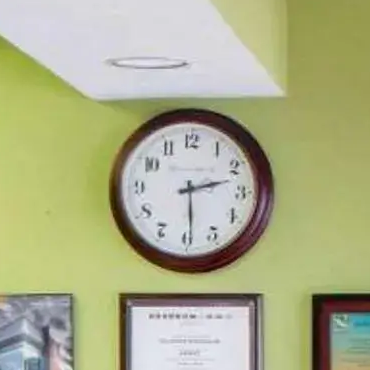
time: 2:29
